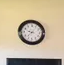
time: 9:37
